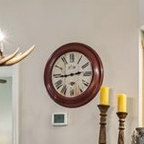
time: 2:44
